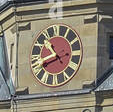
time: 10:41
